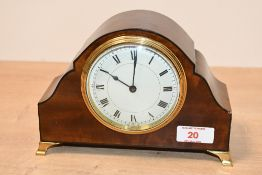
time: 10:00
